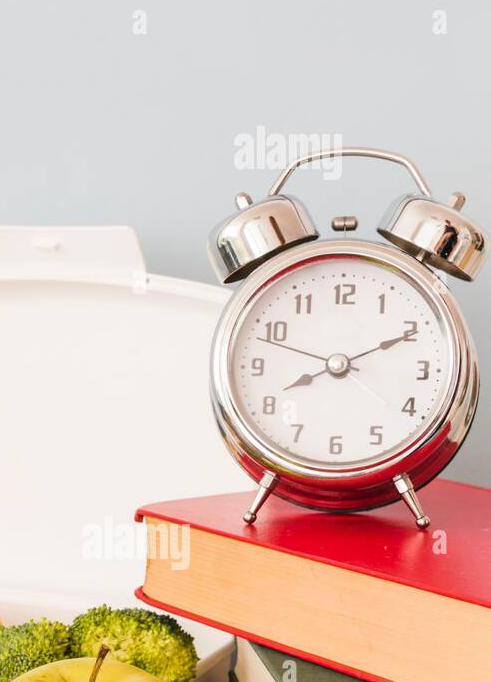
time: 8:10
